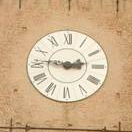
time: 2:46
